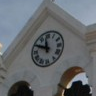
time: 11:49
